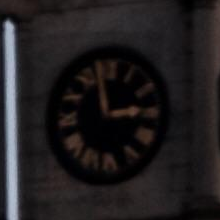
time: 2:57
